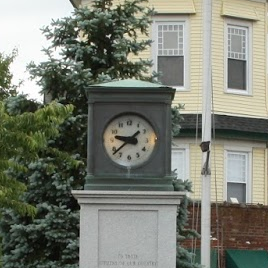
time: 9:38
